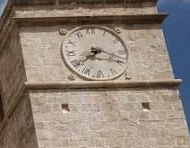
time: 8:18
